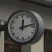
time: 12:12
